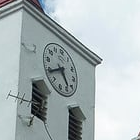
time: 4:39
